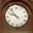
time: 9:53
